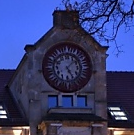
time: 5:07
